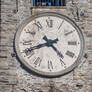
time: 4:41
